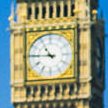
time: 10:45
